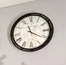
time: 11:20
